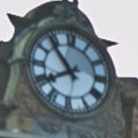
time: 7:53
